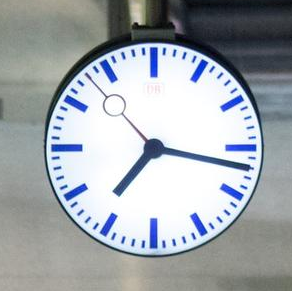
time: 7:17
